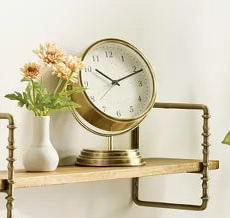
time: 10:11
